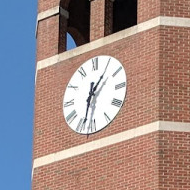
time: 1:33
